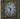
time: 10:32
